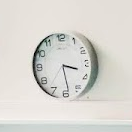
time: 3:29
